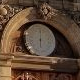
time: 6:01
